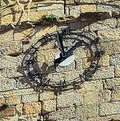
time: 12:07
